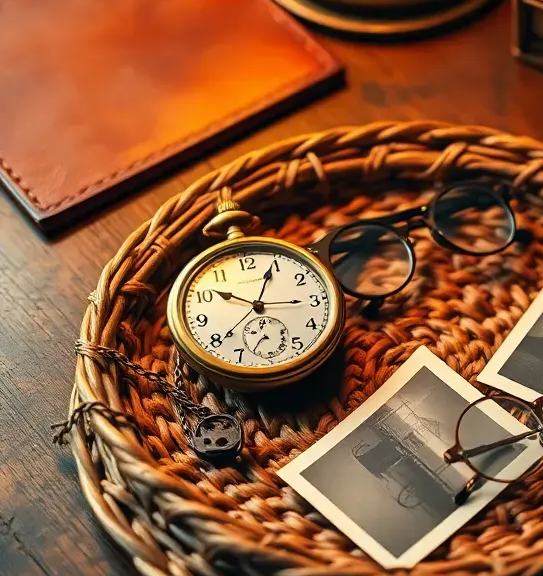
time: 10:04
